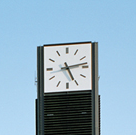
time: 5:13
